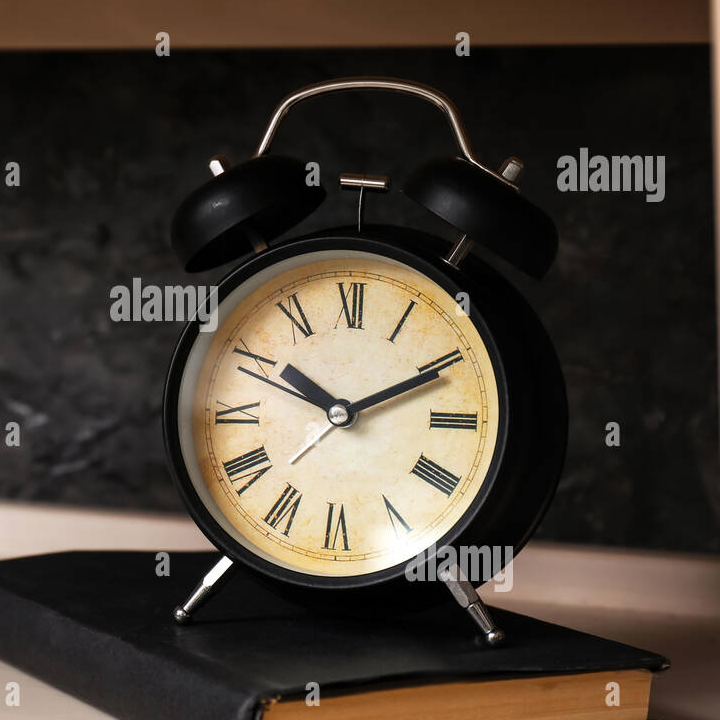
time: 10:10
